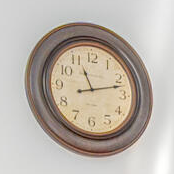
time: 11:12
